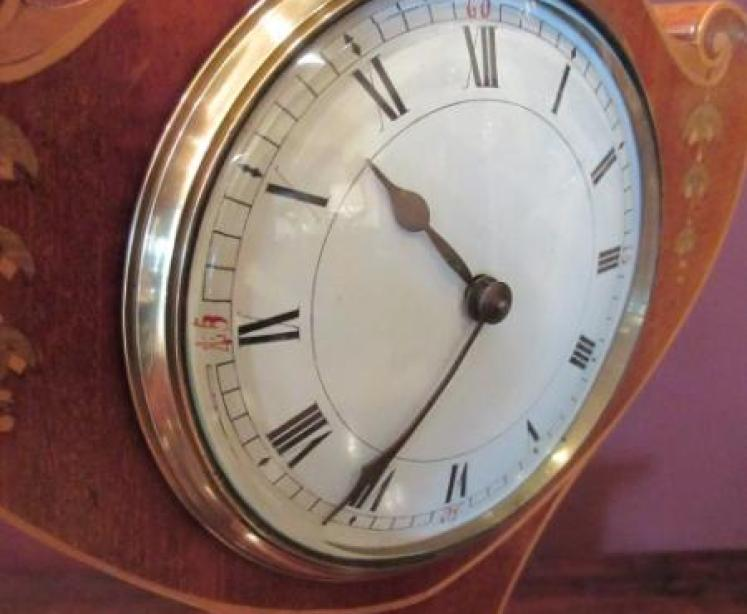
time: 10:35
